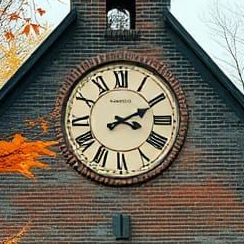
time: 3:10
